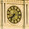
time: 7:37
